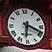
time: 6:18
